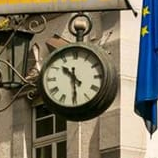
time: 10:29
